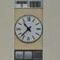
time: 10:37
